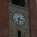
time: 3:32
